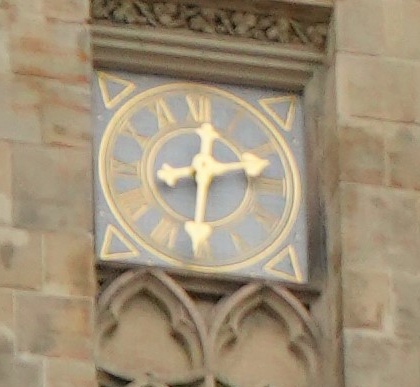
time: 12:12
